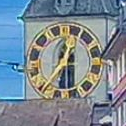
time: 12:28
